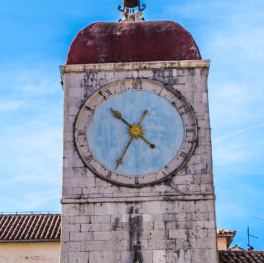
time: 10:34
